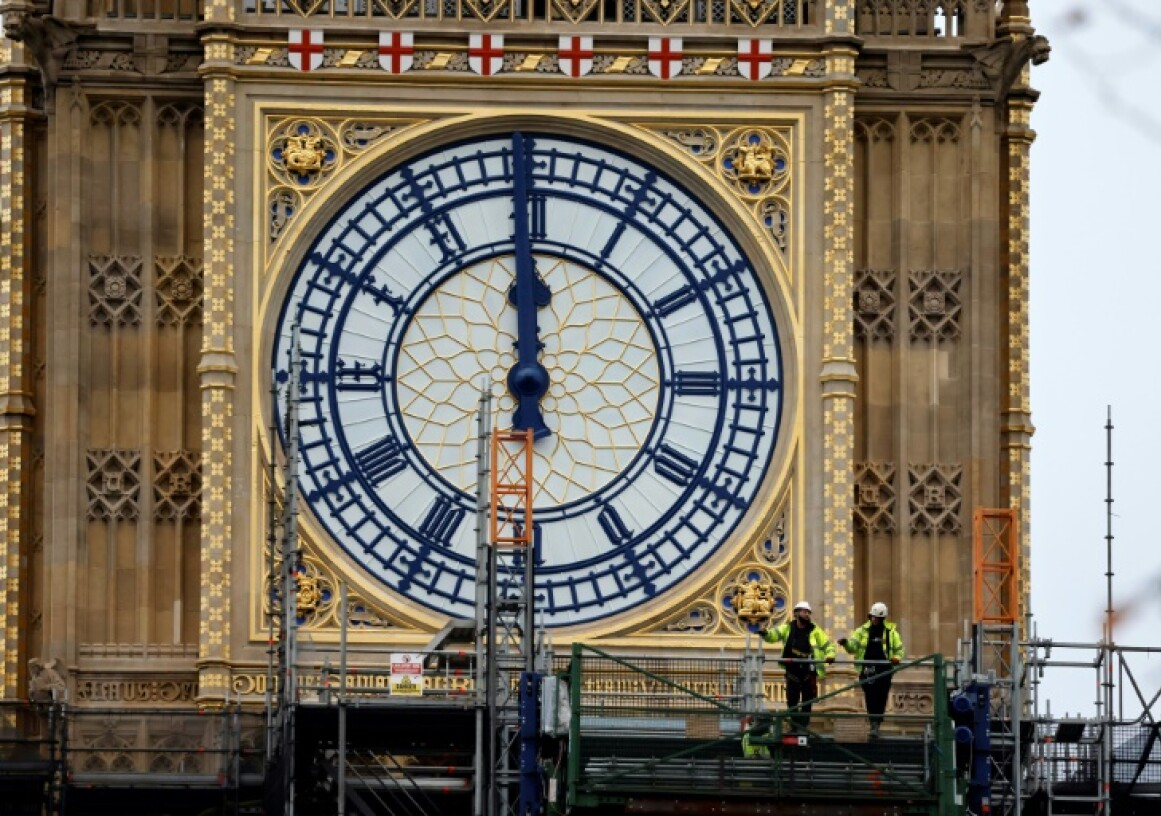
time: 11:59
